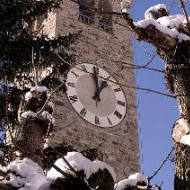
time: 12:58
